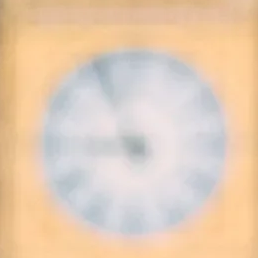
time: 8:56
